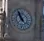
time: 4:57
